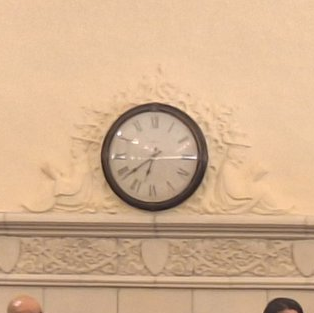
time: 6:38
